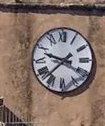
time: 9:38
